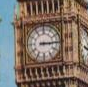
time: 3:14
